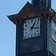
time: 1:16
